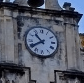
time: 10:39
